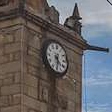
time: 4:31
